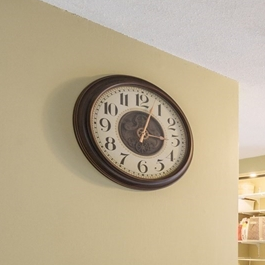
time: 3:03
